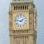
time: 1:46
